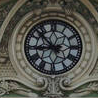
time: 8:52
